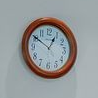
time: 12:50
